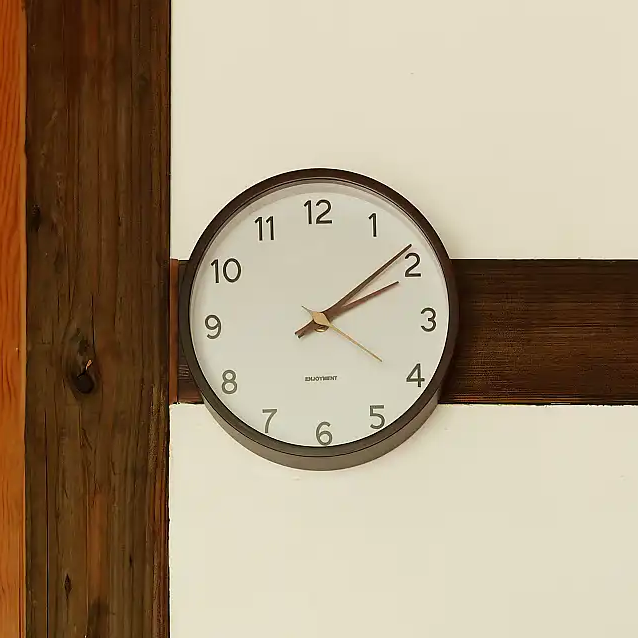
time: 2:09
